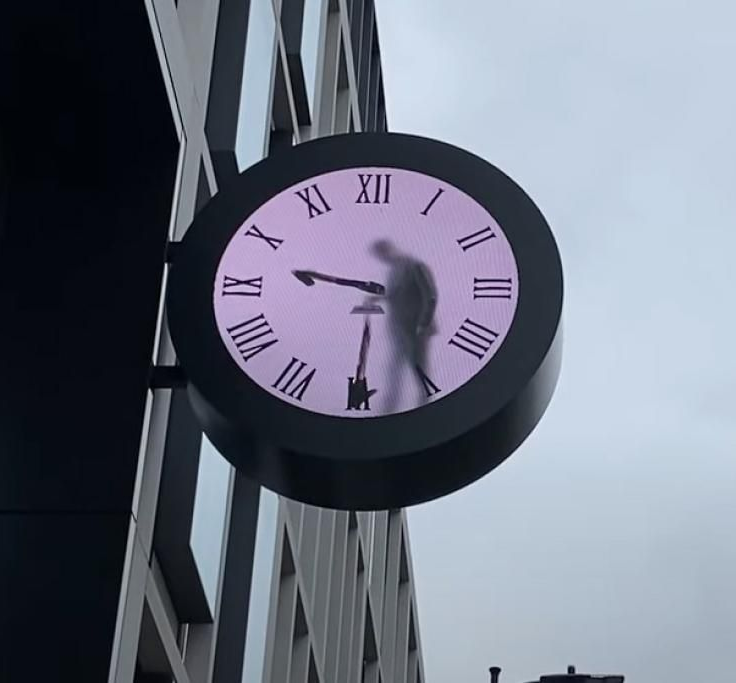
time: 9:30
